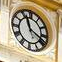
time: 11:18
